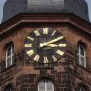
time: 3:09
